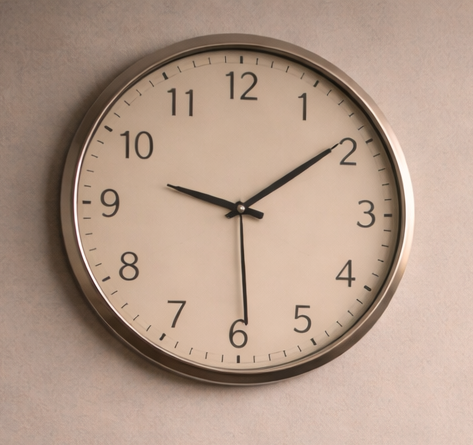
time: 9:09
